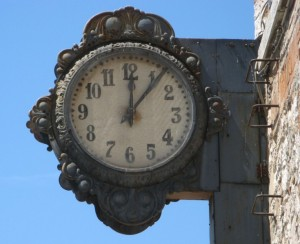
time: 12:06
